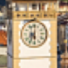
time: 5:34
